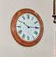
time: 10:14
